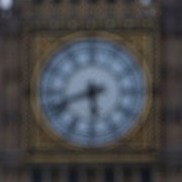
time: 5:41
